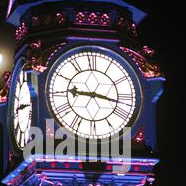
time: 9:17
